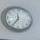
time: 11:35
